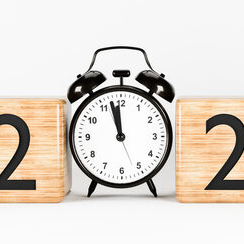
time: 11:57
